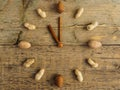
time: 11:00
